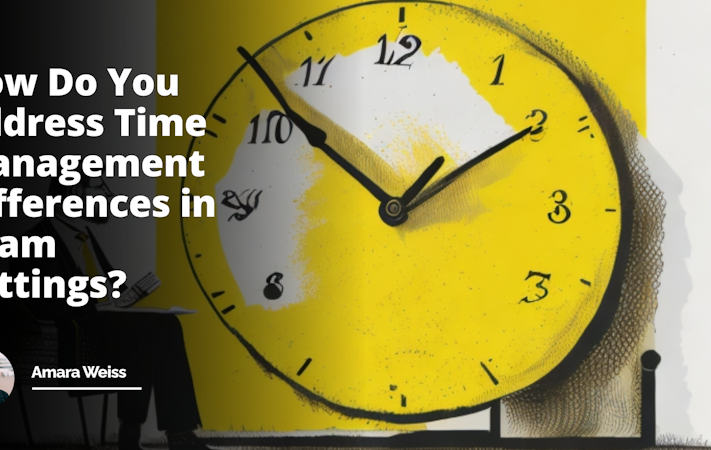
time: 1:51
